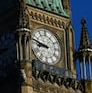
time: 8:47
